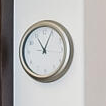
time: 11:04
